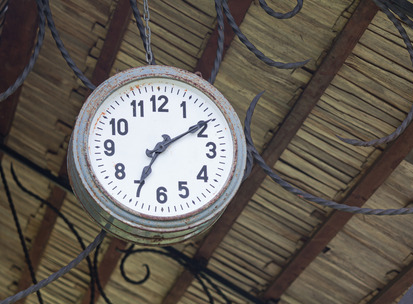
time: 7:09
